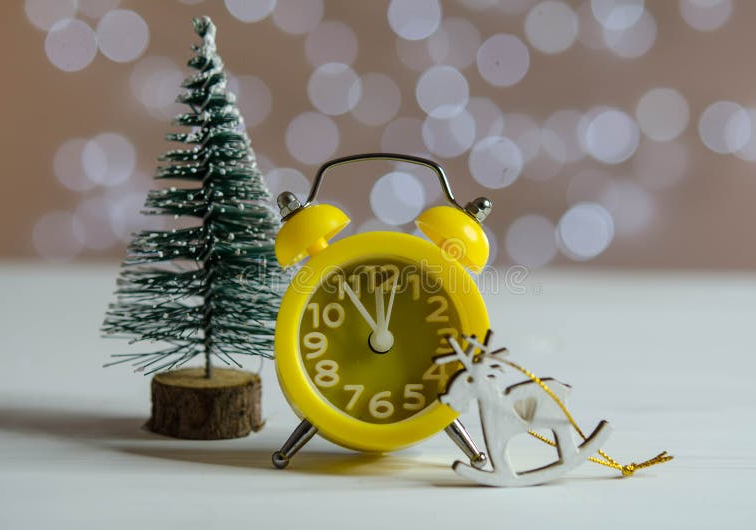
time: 11:02
